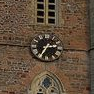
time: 2:35
